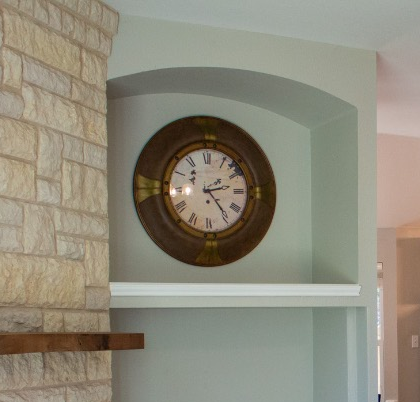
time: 2:23
